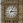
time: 3:04
